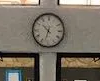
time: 10:32
